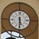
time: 5:30
